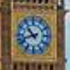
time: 10:41
